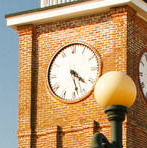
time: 4:28
